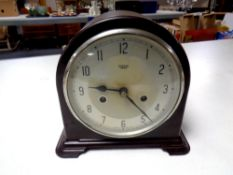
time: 9:23
